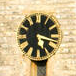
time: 5:17
